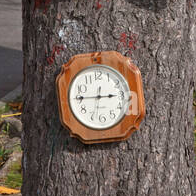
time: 2:45
